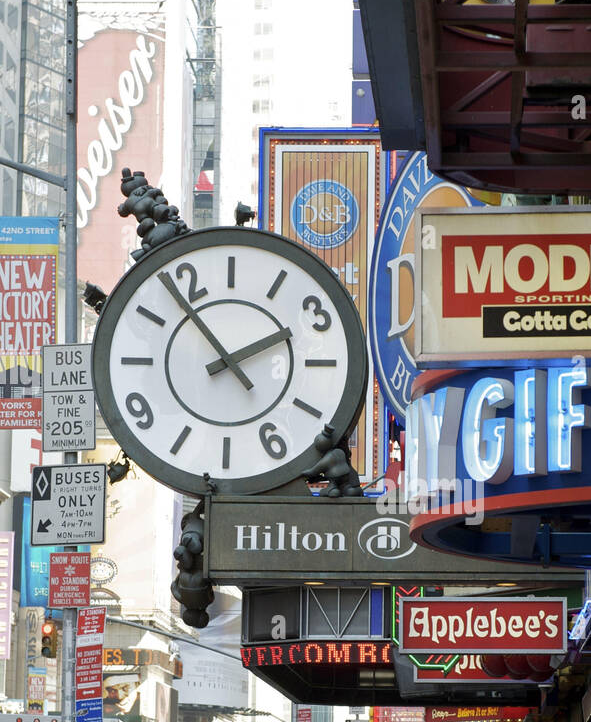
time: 1:53
